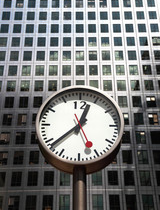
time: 12:38
